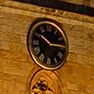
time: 10:14
